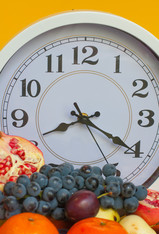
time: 8:20
